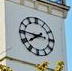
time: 7:45
